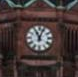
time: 11:03
